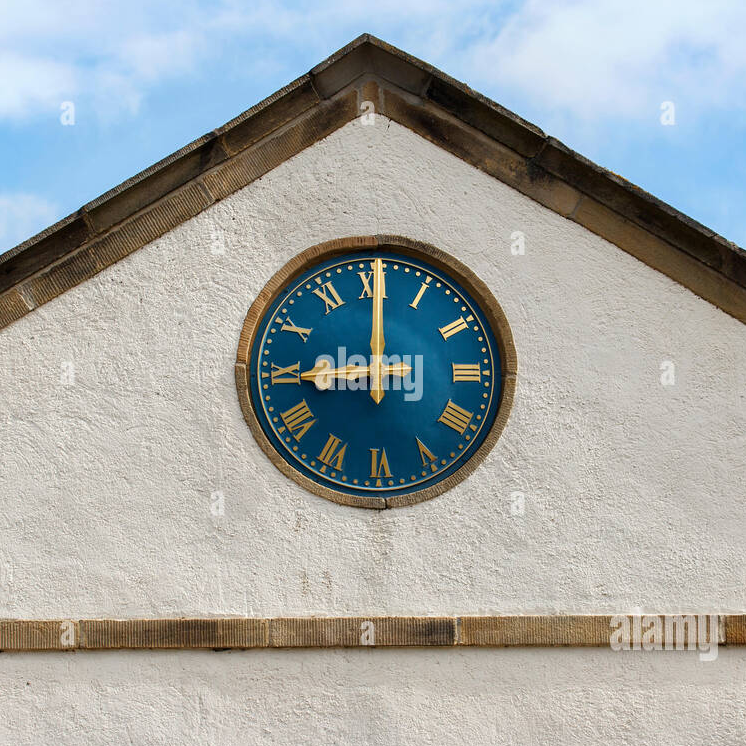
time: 9:00
